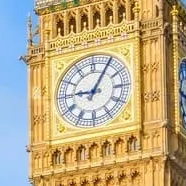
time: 9:05
